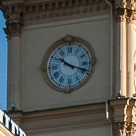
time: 10:18
